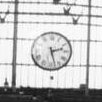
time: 2:27
